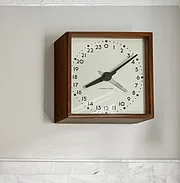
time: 8:09
